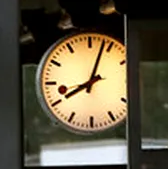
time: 8:03
